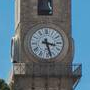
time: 3:27
